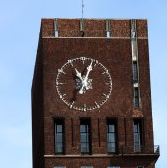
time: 11:03
